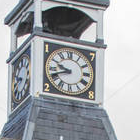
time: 9:41
